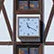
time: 11:19
